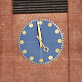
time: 4:58
